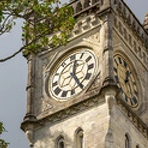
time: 12:24
